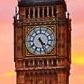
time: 4:26
